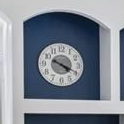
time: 4:19
